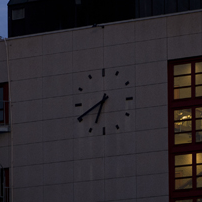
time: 6:40
